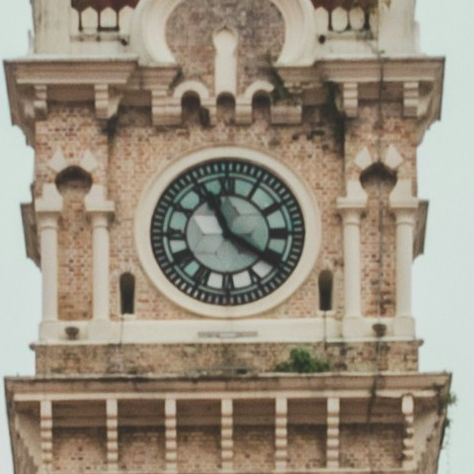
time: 11:20
